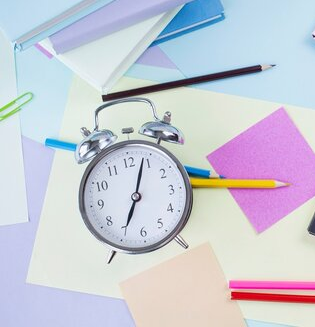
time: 7:03
